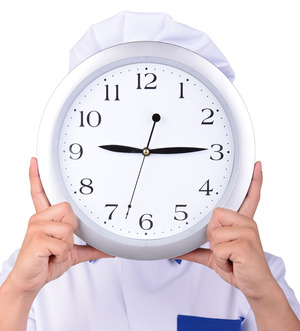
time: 9:14
